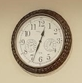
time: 12:33
